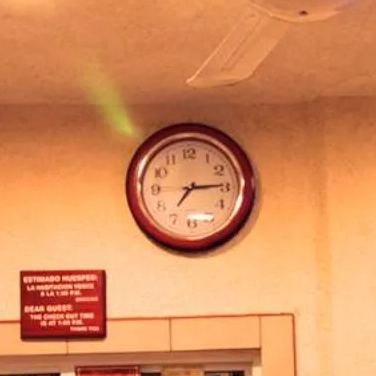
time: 7:14
